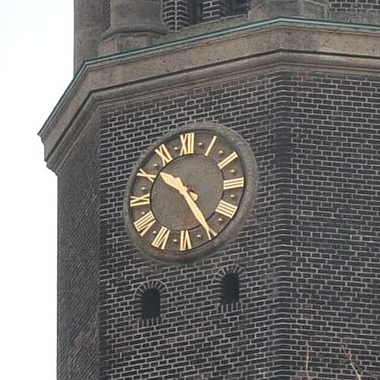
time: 10:24
